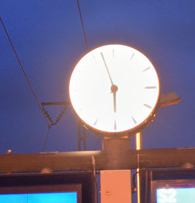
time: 5:57
